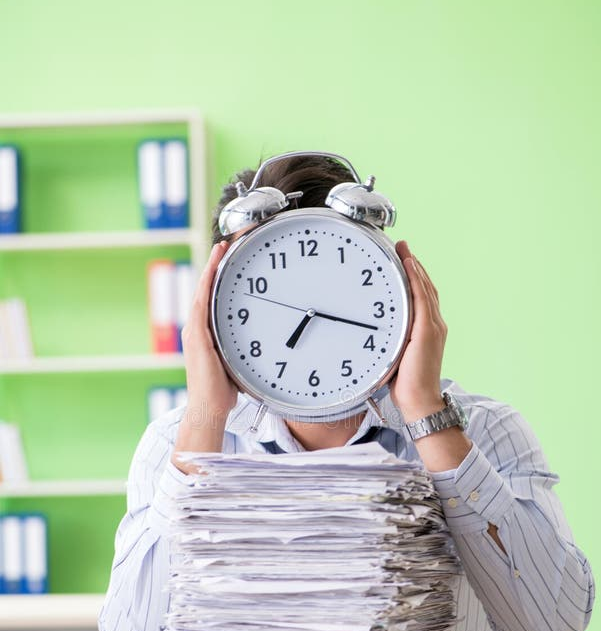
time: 7:17
